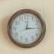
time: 12:14
